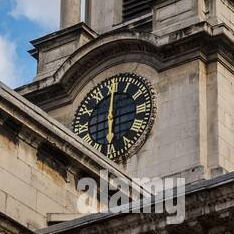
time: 6:00
